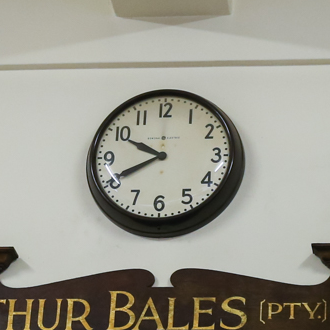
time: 9:40
